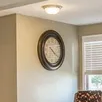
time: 10:20
